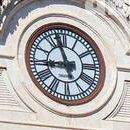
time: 8:57
